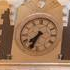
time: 7:33
